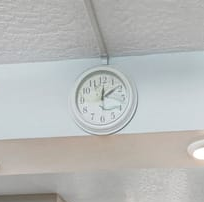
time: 12:09
